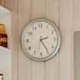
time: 2:24
